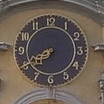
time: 7:40
